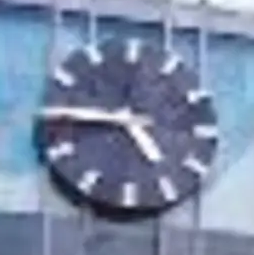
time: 4:44
